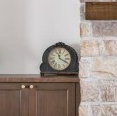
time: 11:19
